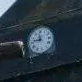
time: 11:46
